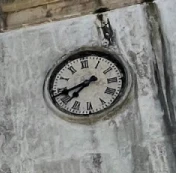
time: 7:42
